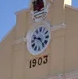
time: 9:23
